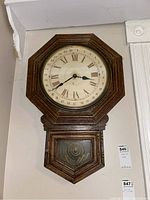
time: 3:40
